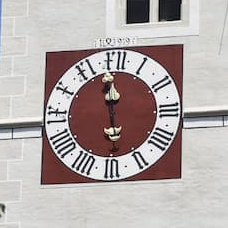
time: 11:58
